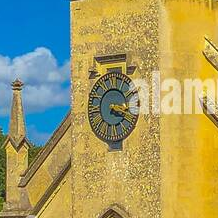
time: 3:20
